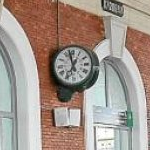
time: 6:57
